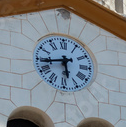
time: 5:43
